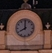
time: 7:59
